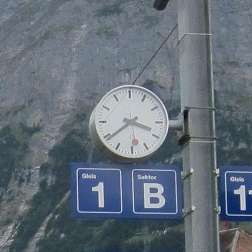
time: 3:39
